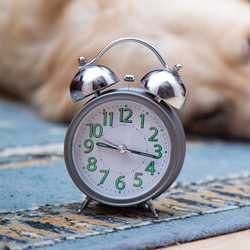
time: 9:16
